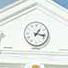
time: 1:16
